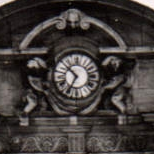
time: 10:34
